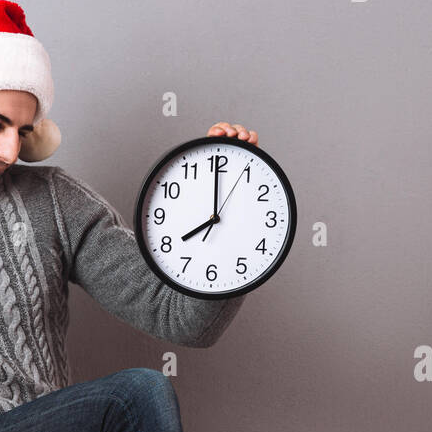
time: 7:59
